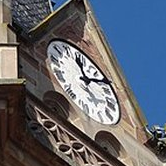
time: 12:12
